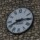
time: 8:14
